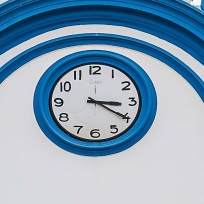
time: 3:20
